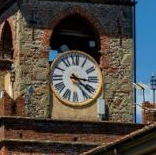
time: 4:16
